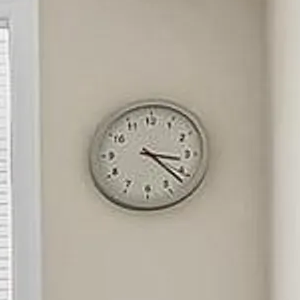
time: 3:21
